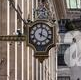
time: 12:19
